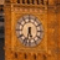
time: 5:32
